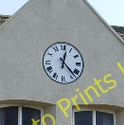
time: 12:23
